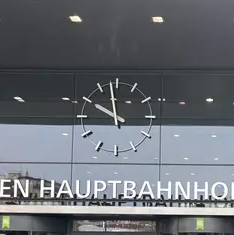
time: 9:58
